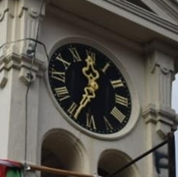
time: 11:34
